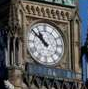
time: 10:51
